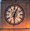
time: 6:03
